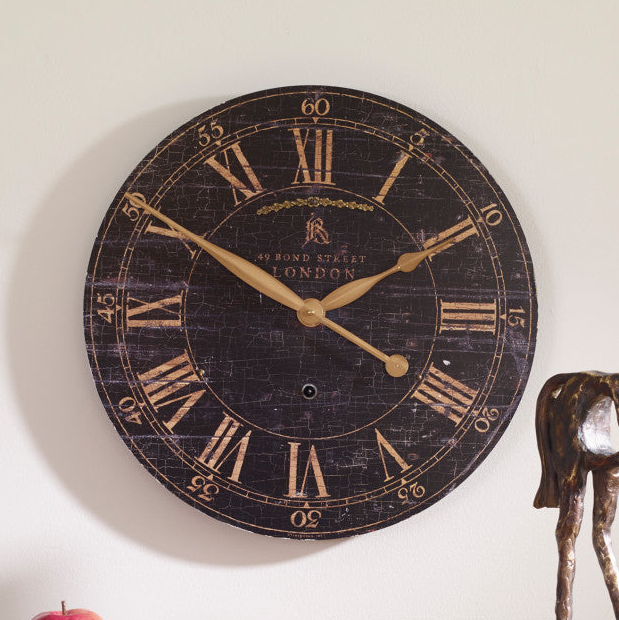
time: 1:50
